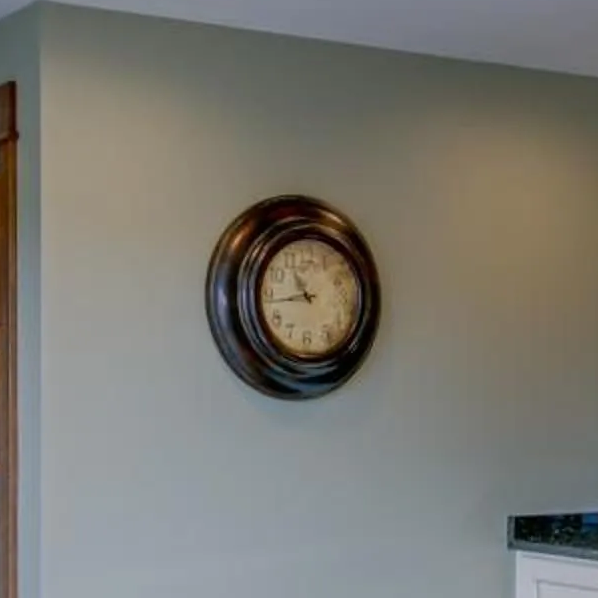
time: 10:43
